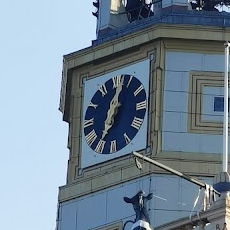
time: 7:01
